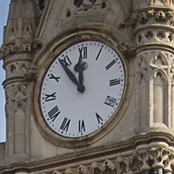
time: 11:53
